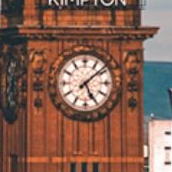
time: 5:08
